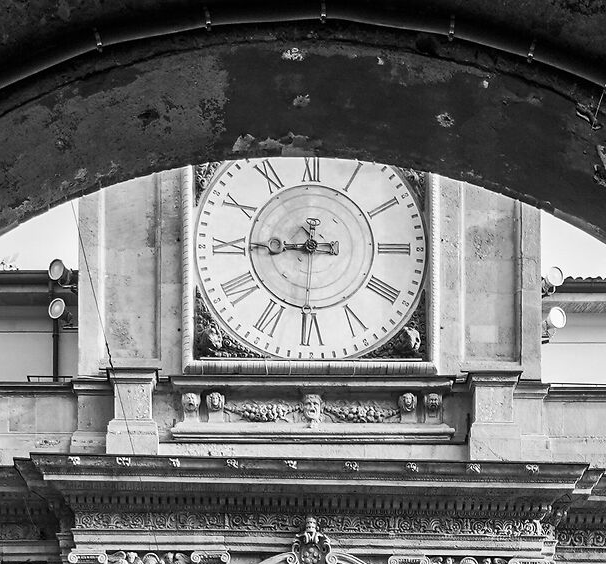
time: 8:45
